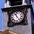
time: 11:24
